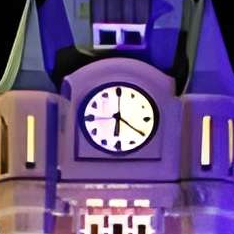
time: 6:20
